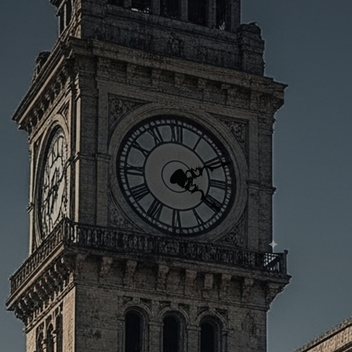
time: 4:09
